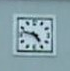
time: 4:47
